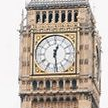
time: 12:28
